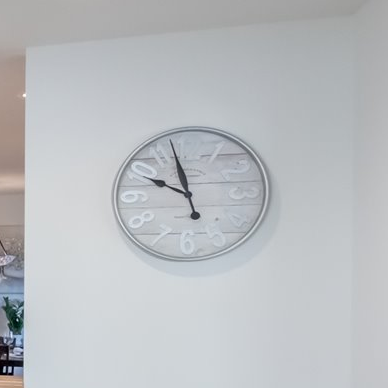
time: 9:57
